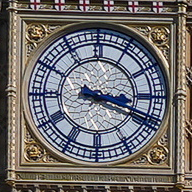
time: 3:18
